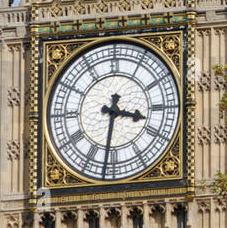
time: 3:31
